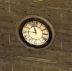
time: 8:57
